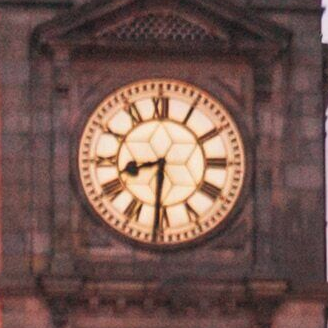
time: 8:31
